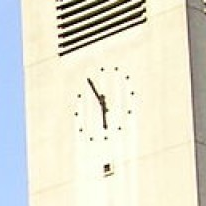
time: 5:55
